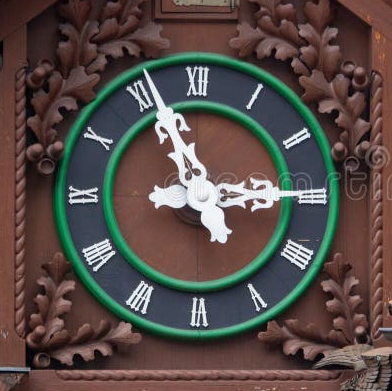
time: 2:56
